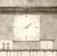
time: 1:42
